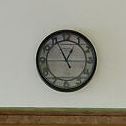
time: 12:55
